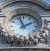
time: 1:56
